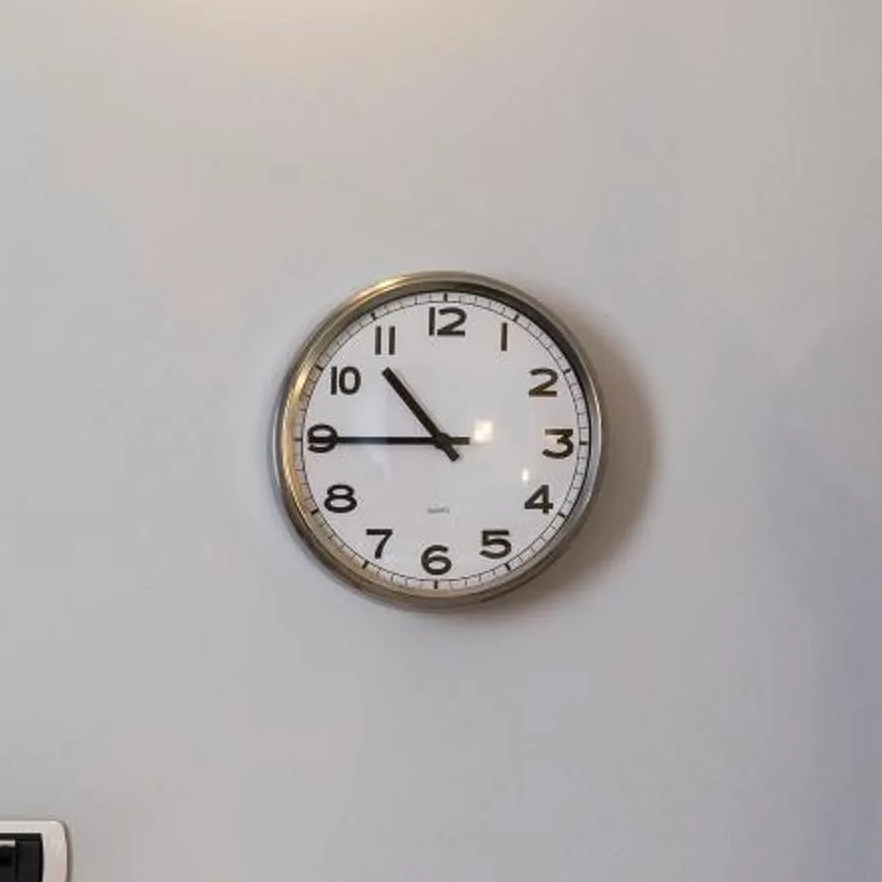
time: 10:45
